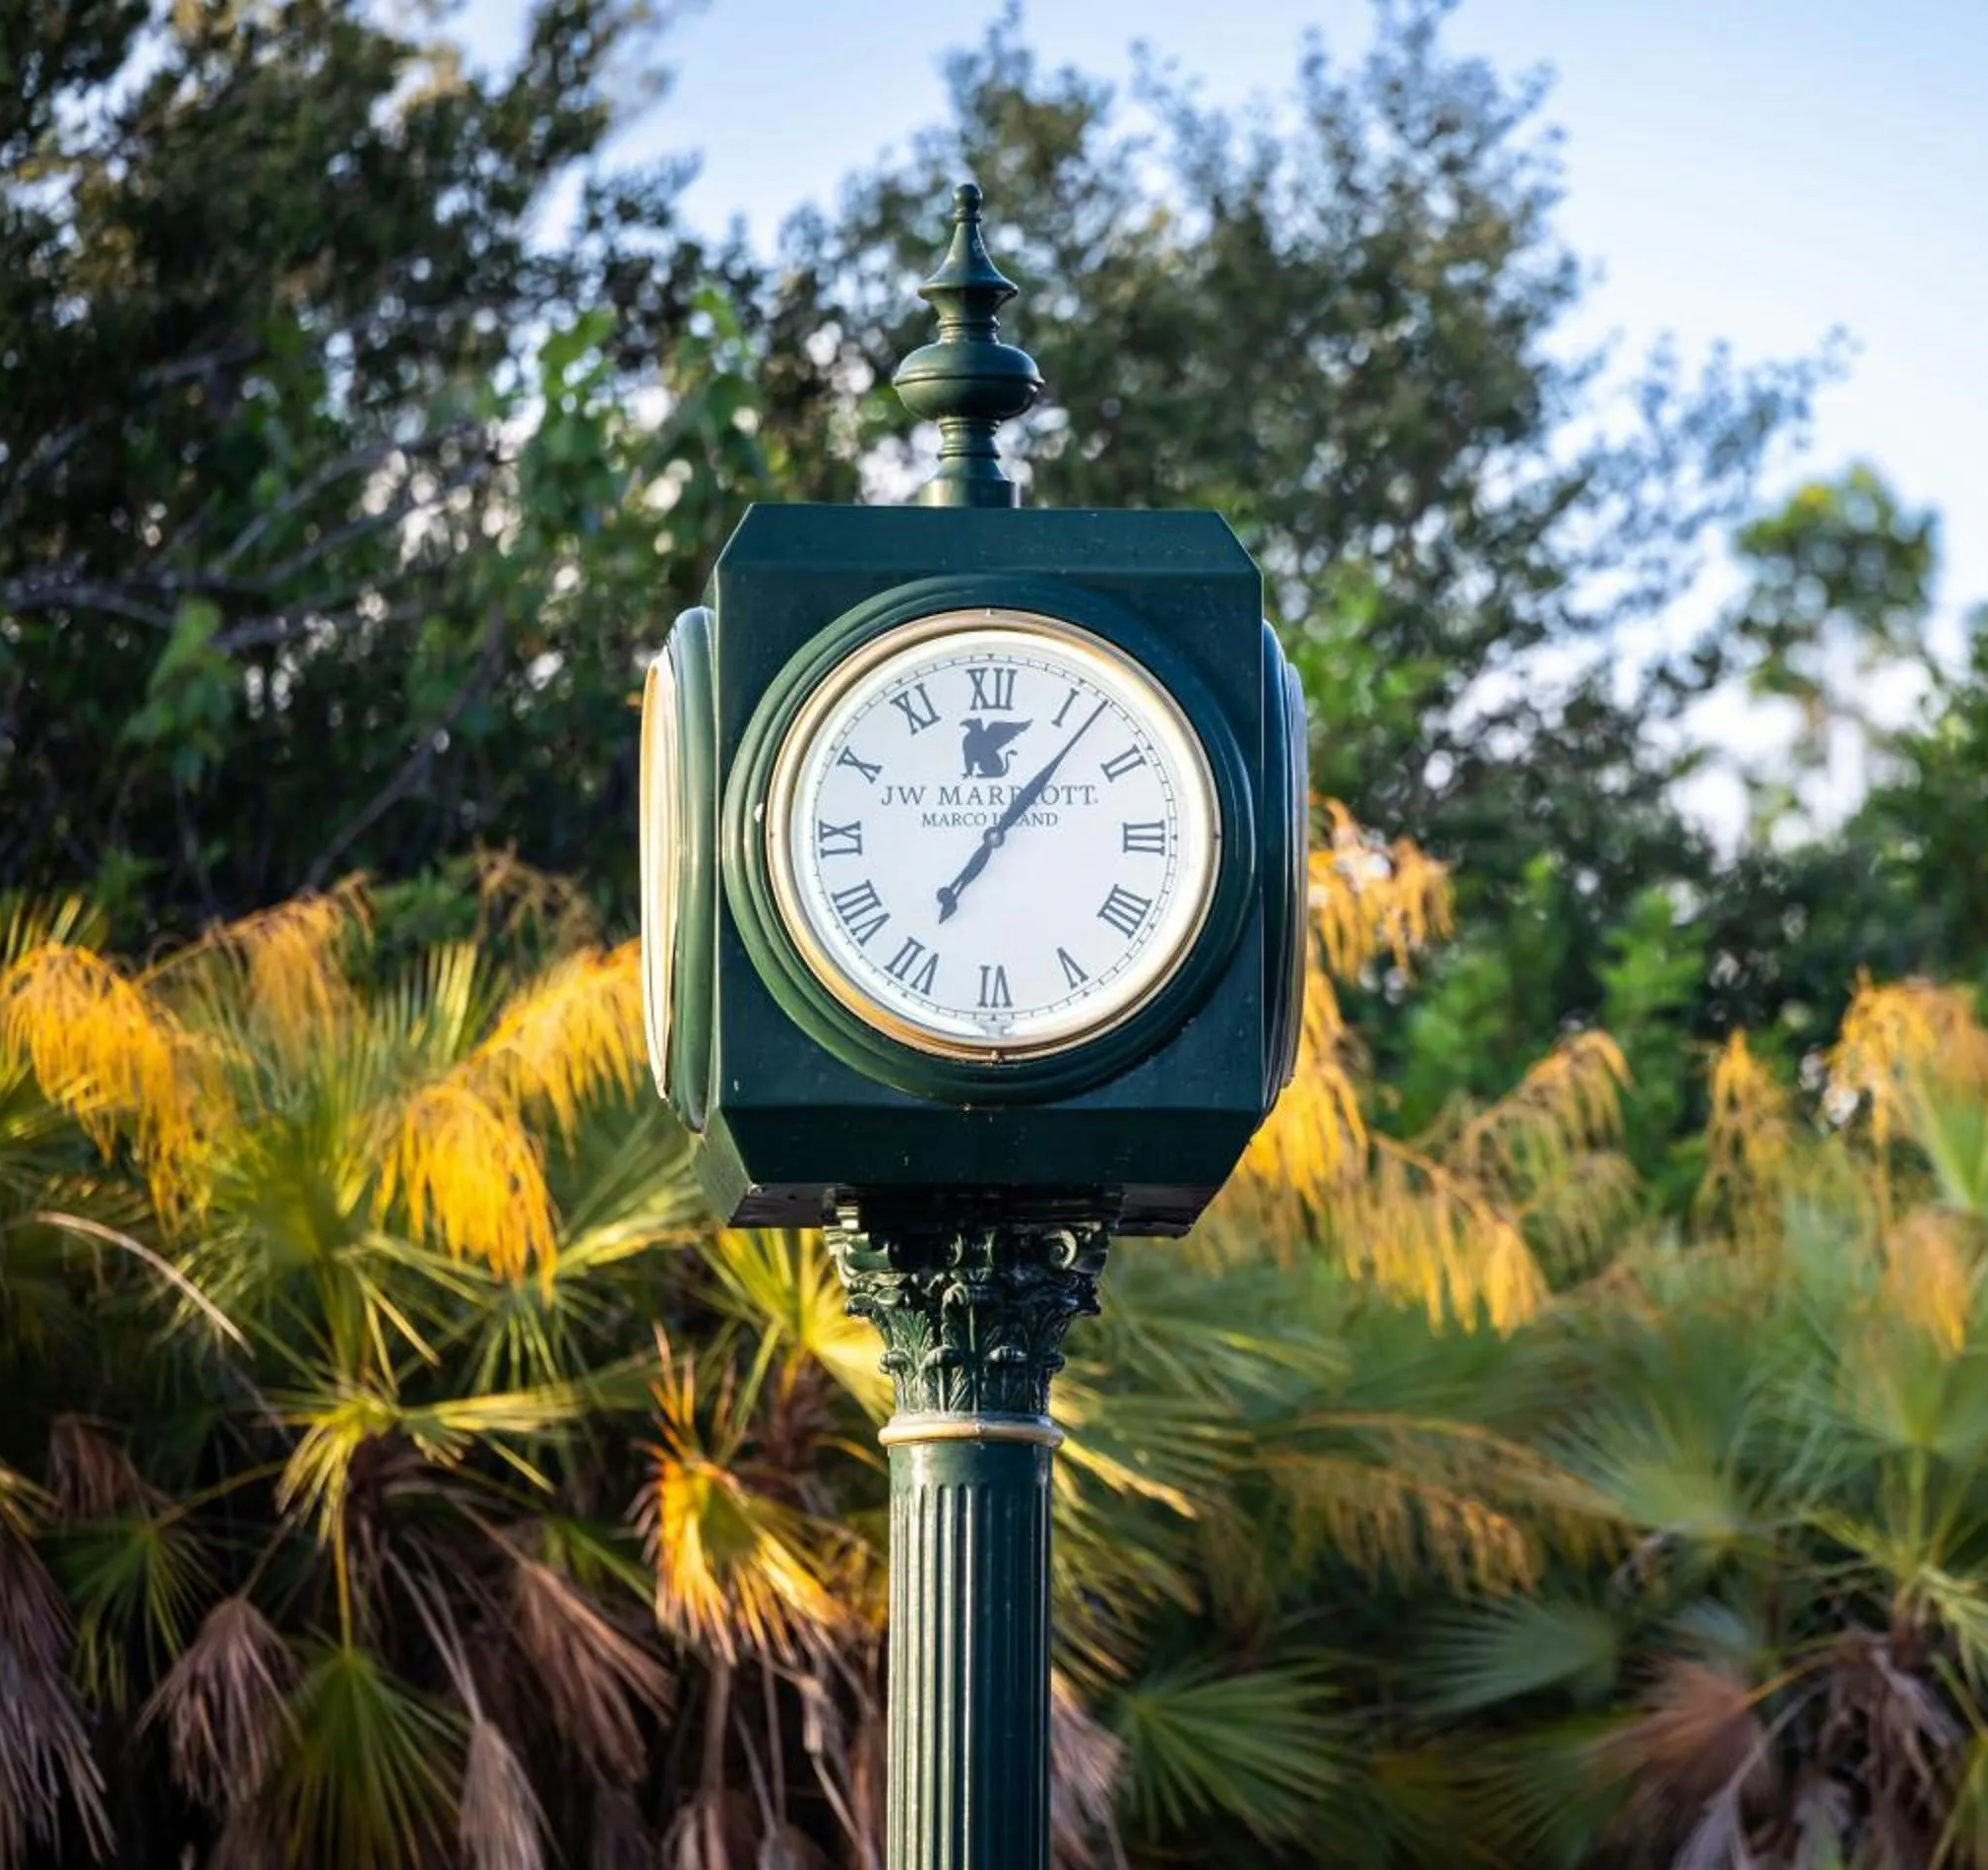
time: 12:06
